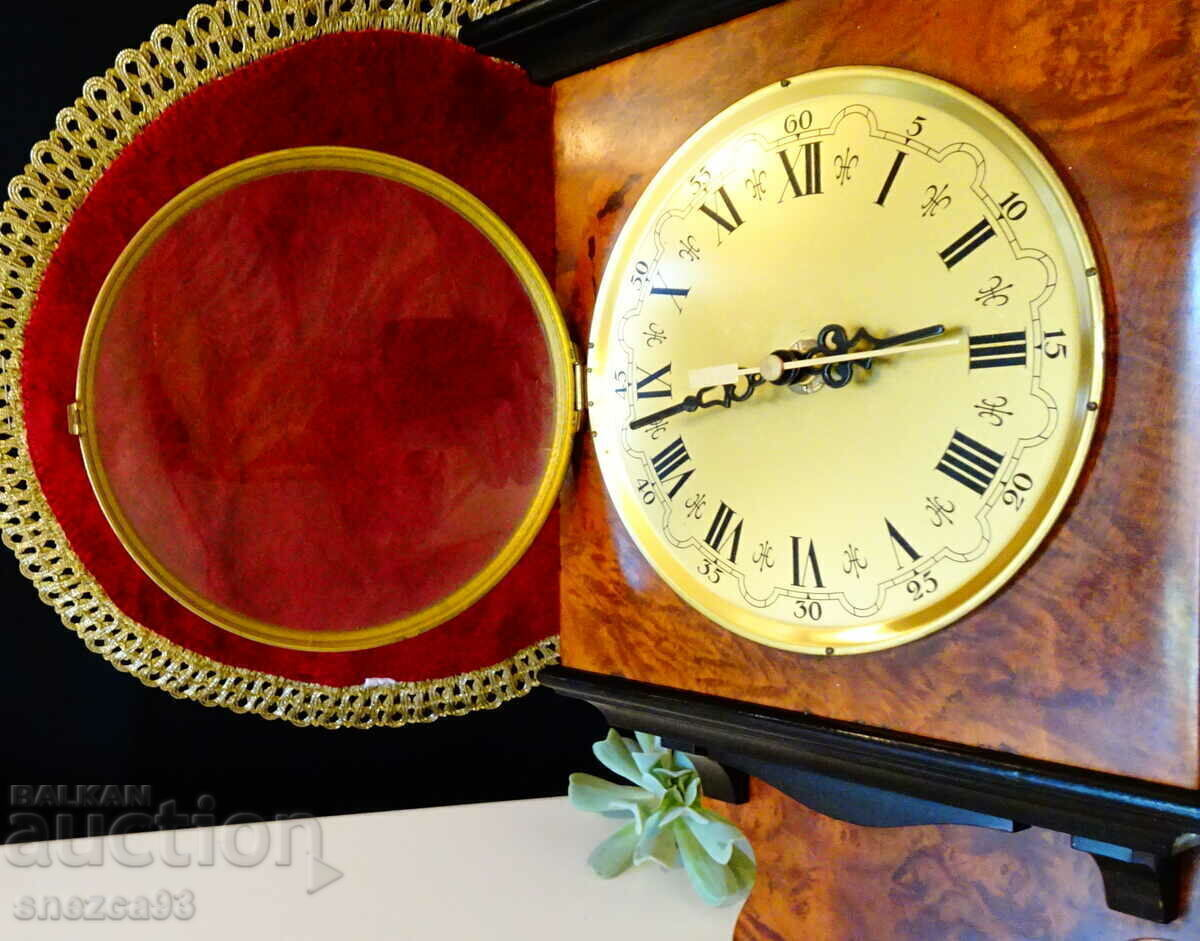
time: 2:43
